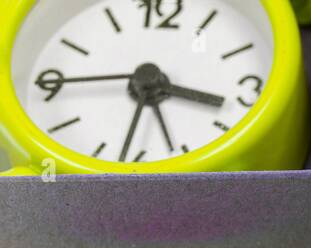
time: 3:26
